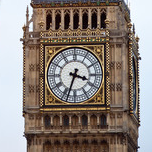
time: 3:33
